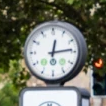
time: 12:13
